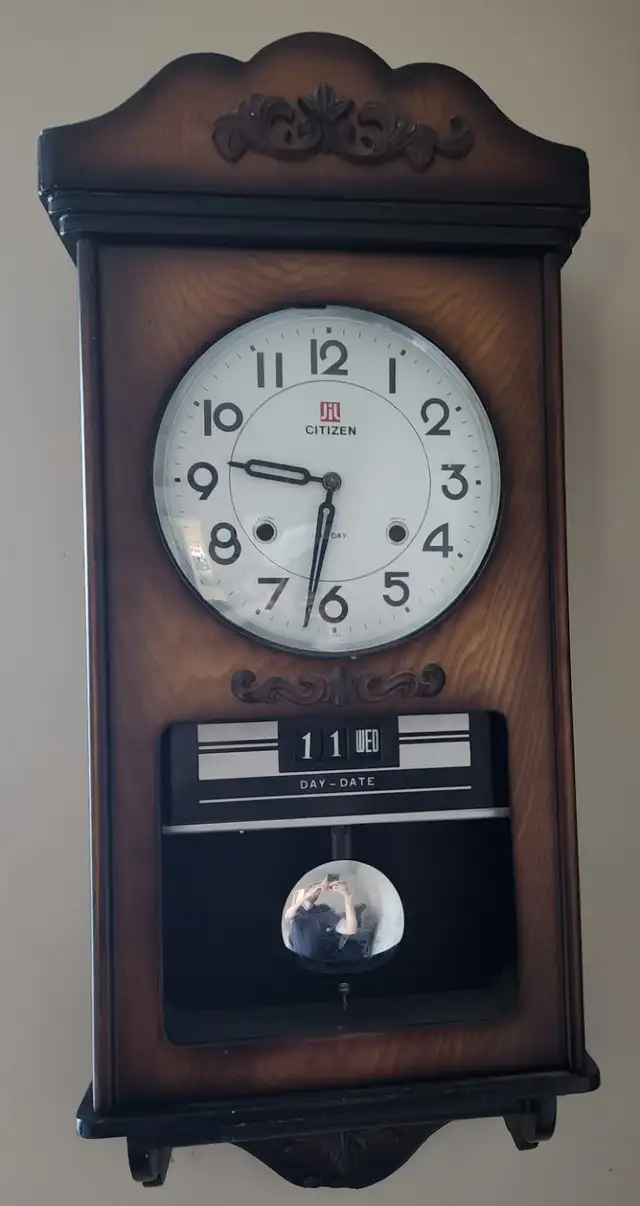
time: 9:32
